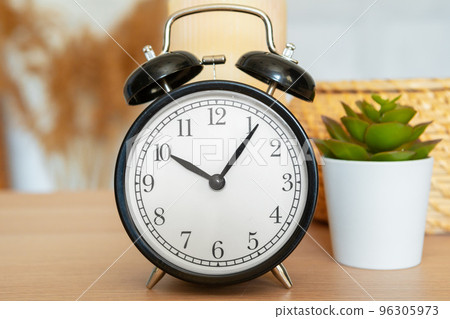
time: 10:06
